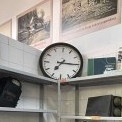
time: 7:15
